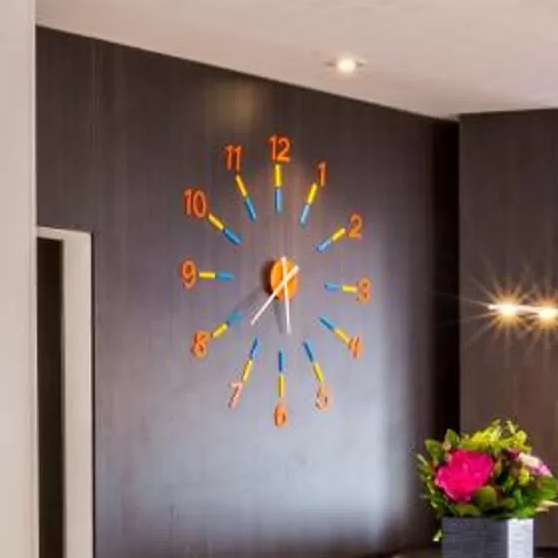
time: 5:40
